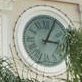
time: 3:04
